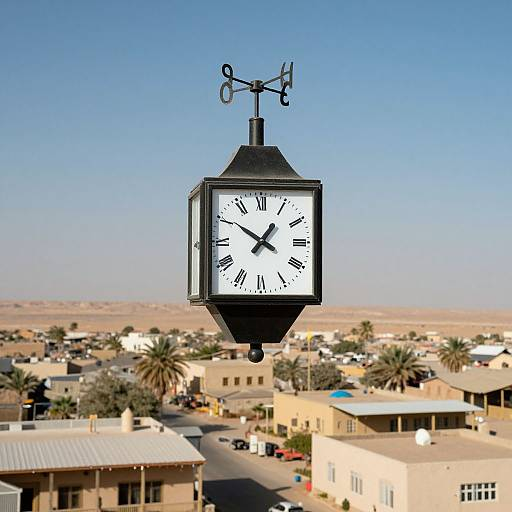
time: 12:50
